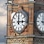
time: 12:14
